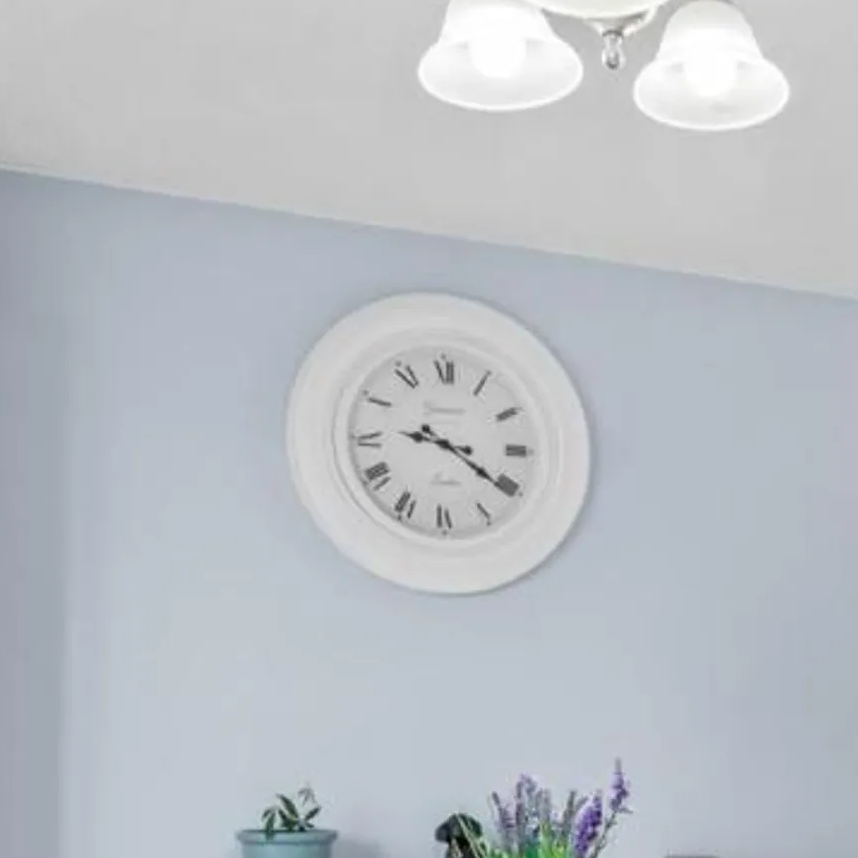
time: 9:20
